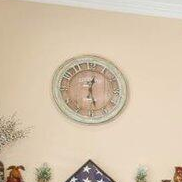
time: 12:27
